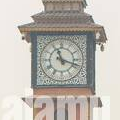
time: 11:18
